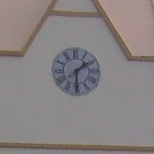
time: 1:30
